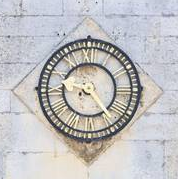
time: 9:23
